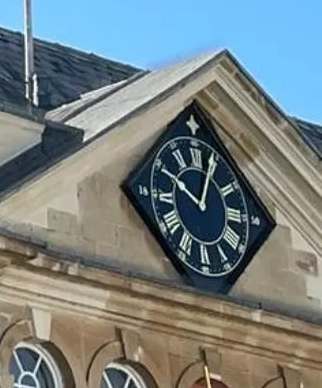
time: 10:04
